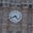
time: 4:41
